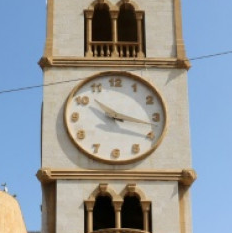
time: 10:17
